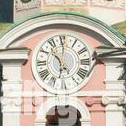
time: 10:32
